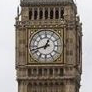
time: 12:42
